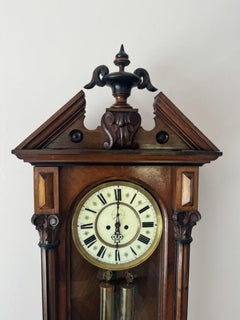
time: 6:00
